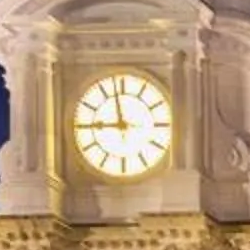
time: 8:58
